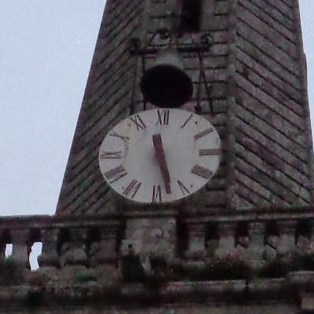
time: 5:27
